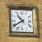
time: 10:39
